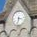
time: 3:32
